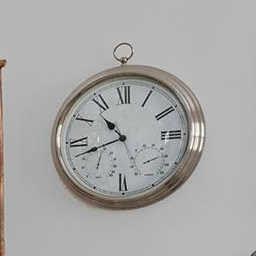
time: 10:42
